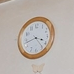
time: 3:42
